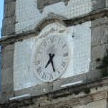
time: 7:27
